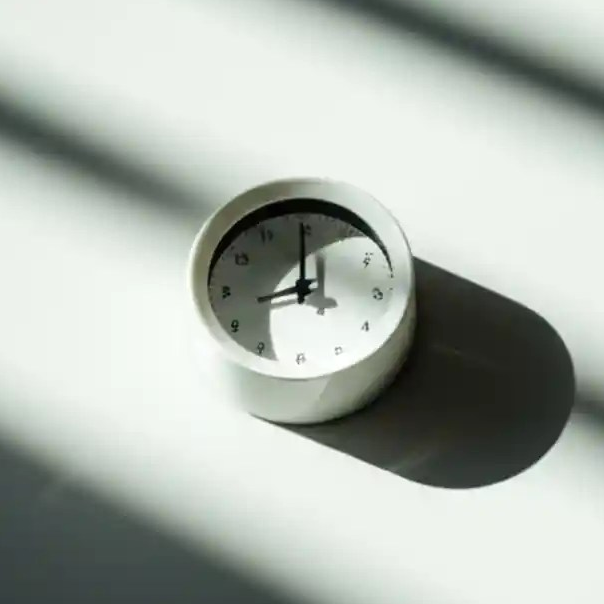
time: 9:00
